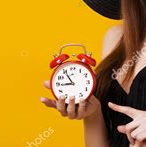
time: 8:54
